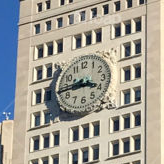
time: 3:43
